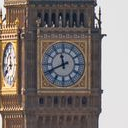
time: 11:41
